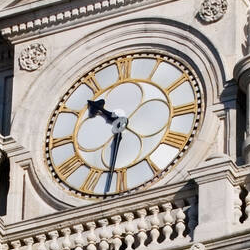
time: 10:31
